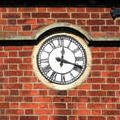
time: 12:18
